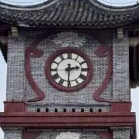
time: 2:30
